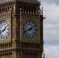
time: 1:41
